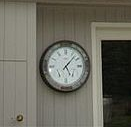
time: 5:07
